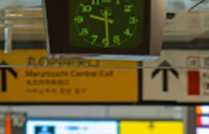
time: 9:29
